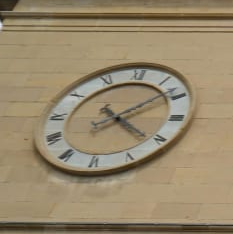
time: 4:08
